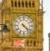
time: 4:22
